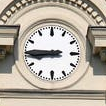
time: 8:45
